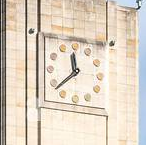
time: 11:38
